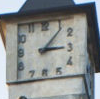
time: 3:06
